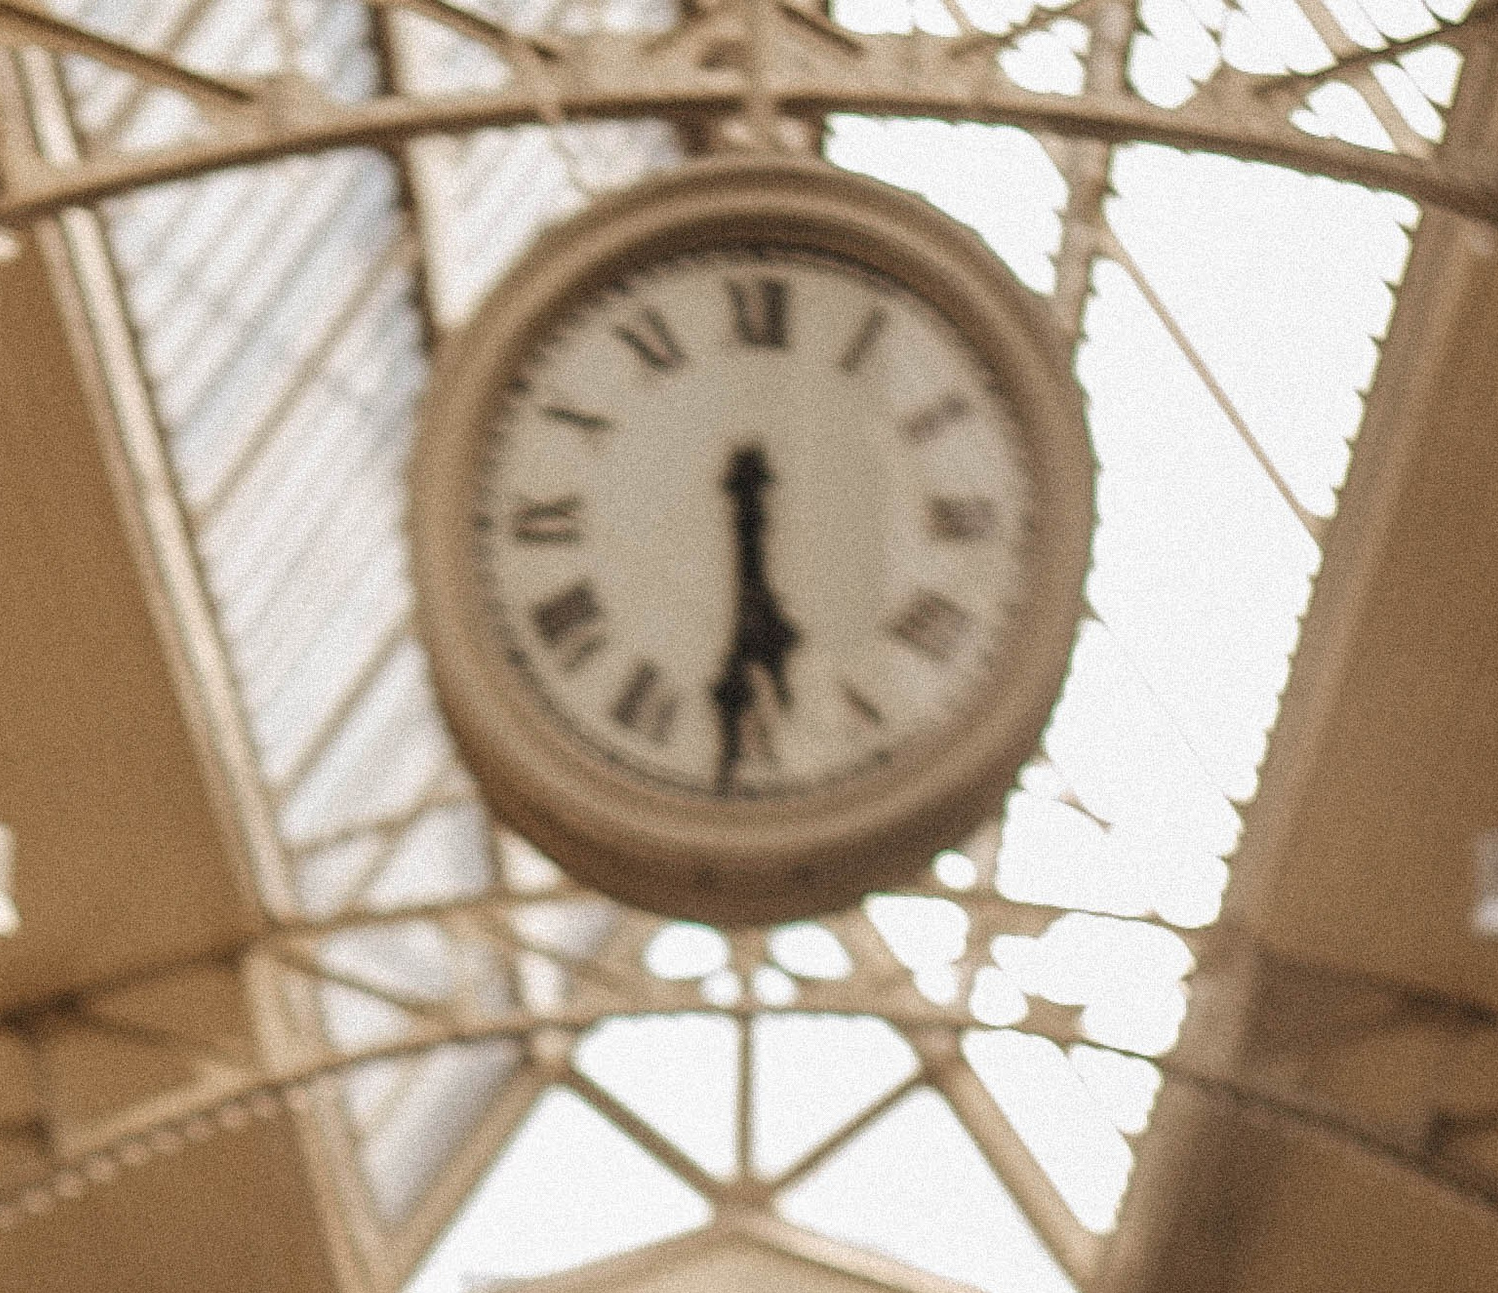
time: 5:30
